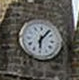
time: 6:06
